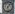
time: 6:06
